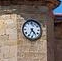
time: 4:34
